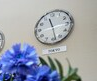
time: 11:28
